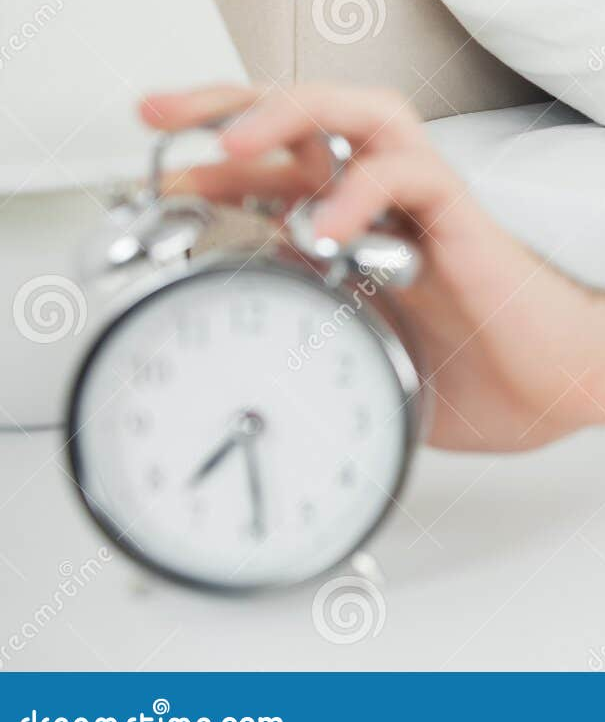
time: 7:29
